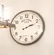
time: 2:11
